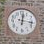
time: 12:16
